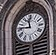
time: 11:46
